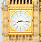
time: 8:15
